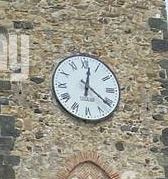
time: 12:21
